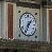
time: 1:34
